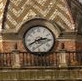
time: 2:40
